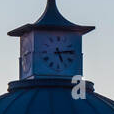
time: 5:13
